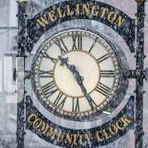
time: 10:25
